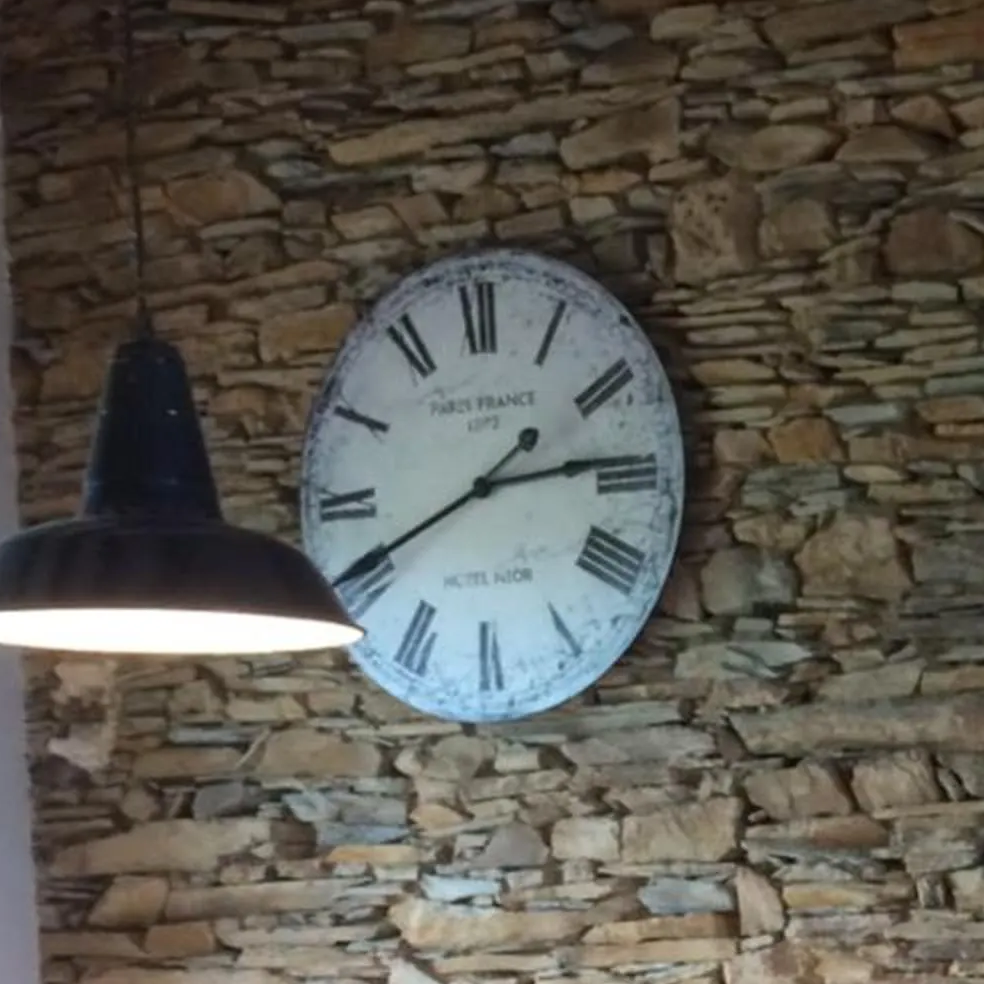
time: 2:40
